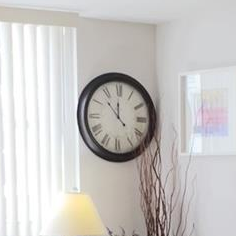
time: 11:52
